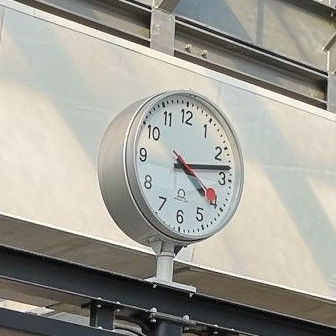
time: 4:13
